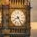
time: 8:24
